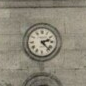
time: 2:22
